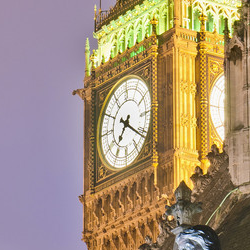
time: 7:21
